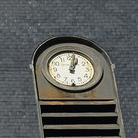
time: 1:02
